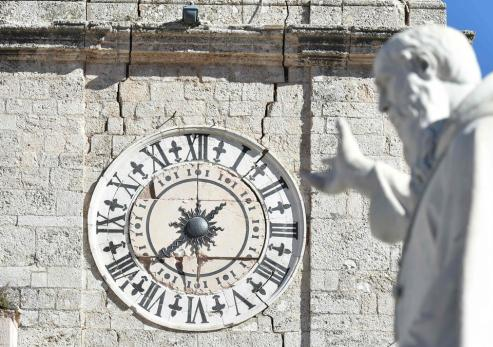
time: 1:37
